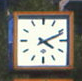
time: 4:11
